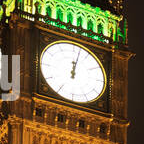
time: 12:01
